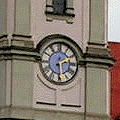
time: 2:29
